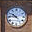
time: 9:45
